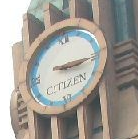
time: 3:15
